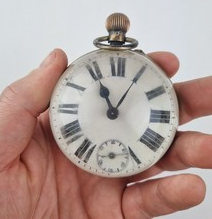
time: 11:05
